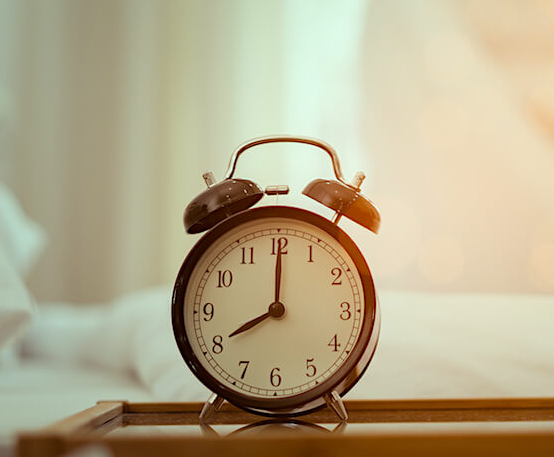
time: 8:00
